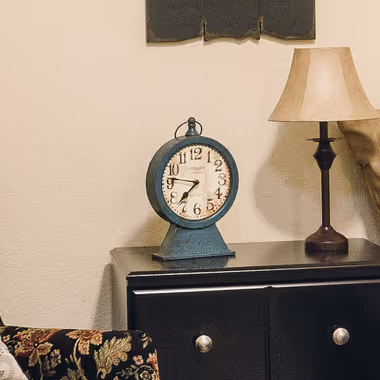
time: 7:46
